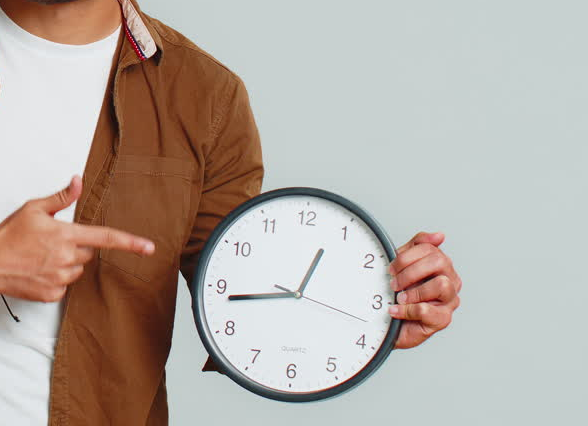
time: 12:43
